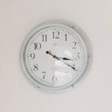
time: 3:20
